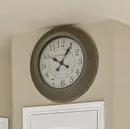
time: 10:05
